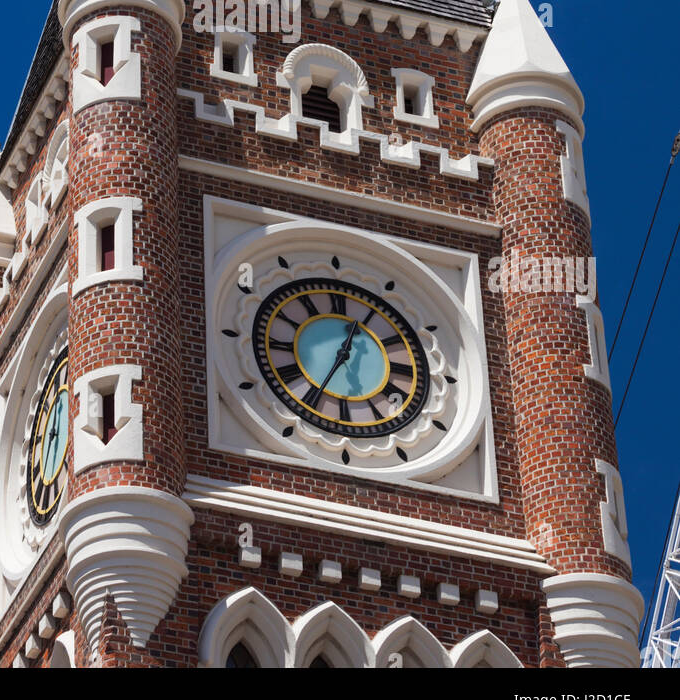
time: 12:34
